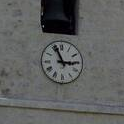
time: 2:56
